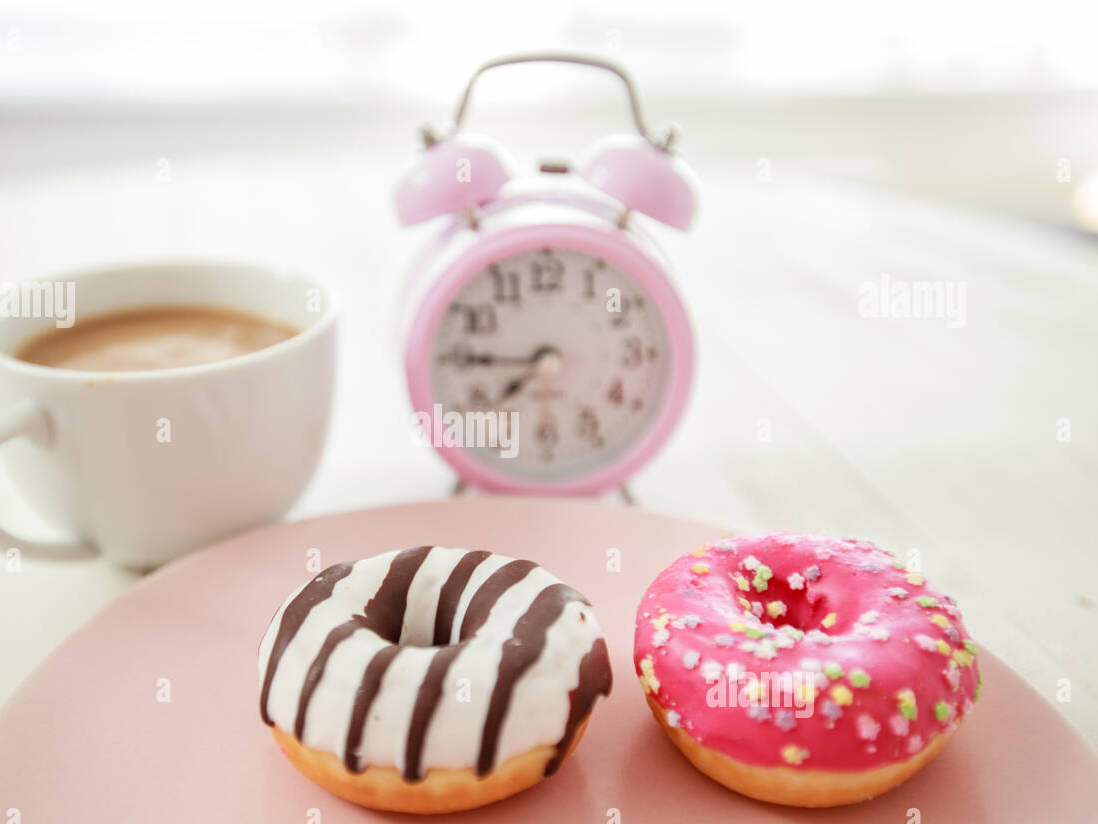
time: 7:45
